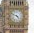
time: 4:49
